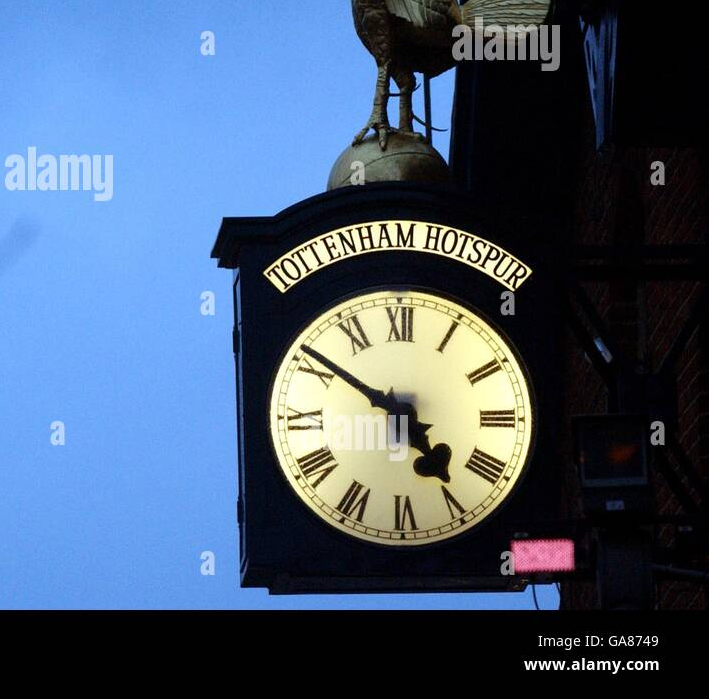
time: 4:50
